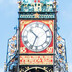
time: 10:33
